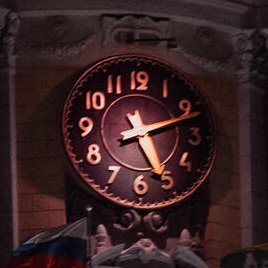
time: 5:12
